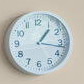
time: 1:16
